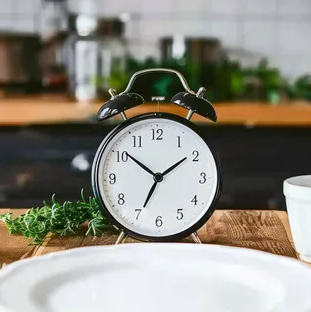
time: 1:51
